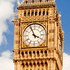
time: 3:56
